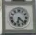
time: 6:22
